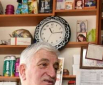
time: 11:14
